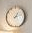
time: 1:12
